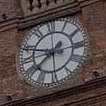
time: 9:38
